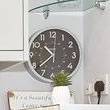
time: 10:38
